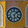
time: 6:08
